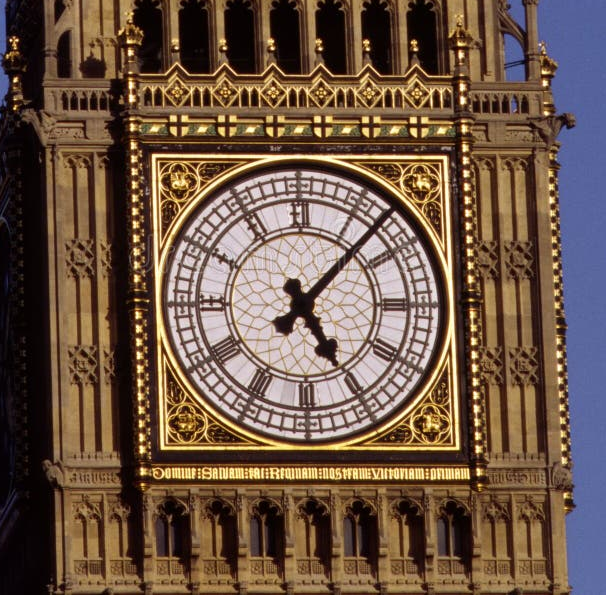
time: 5:07
